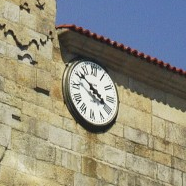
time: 3:51
